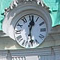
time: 12:28
